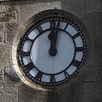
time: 12:02
